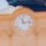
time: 11:13
